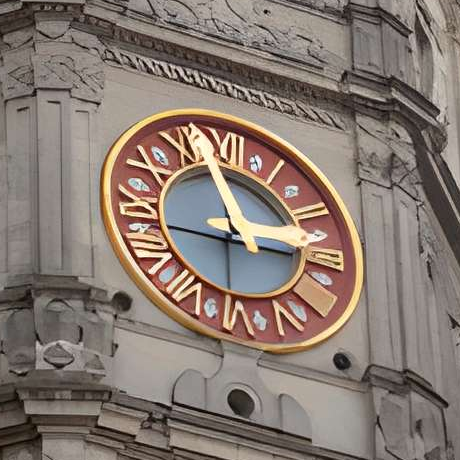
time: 2:56
